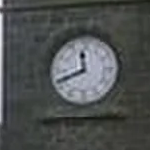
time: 11:41
